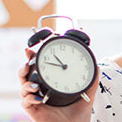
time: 10:47
